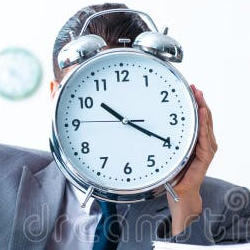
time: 10:19
